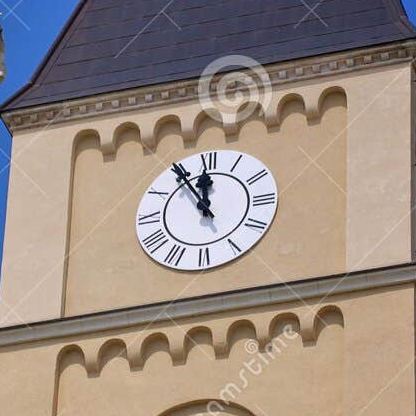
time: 11:54
